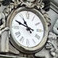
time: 10:48
